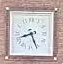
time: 8:26
